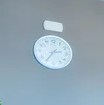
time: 2:36
